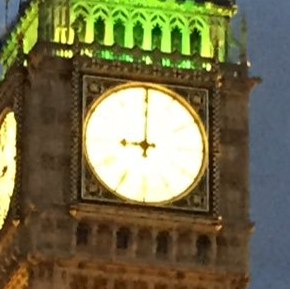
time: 9:00
